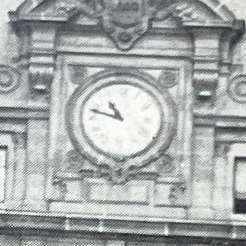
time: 10:47
